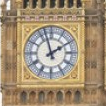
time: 1:57
